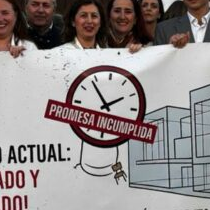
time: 1:53
